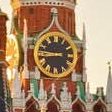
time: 8:45
